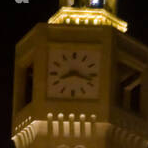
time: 8:17
